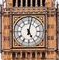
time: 5:02
